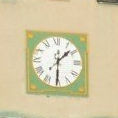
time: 1:30
